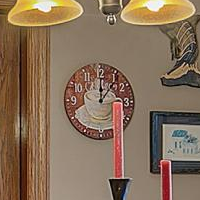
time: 12:06
